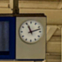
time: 11:12
